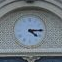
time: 4:13
